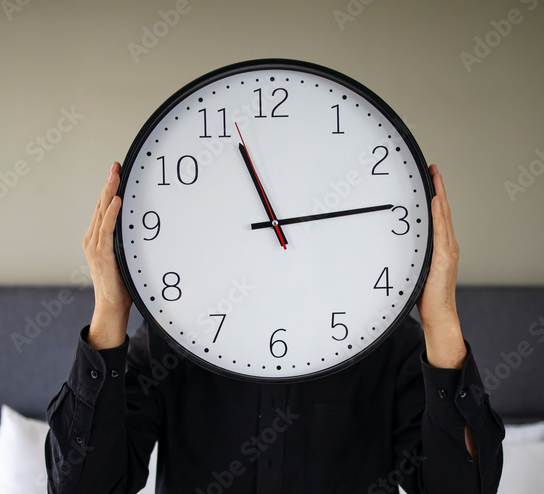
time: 11:13
